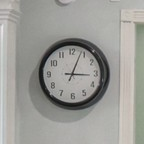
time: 3:03
